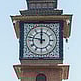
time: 11:47
